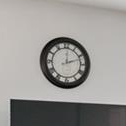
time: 12:11
